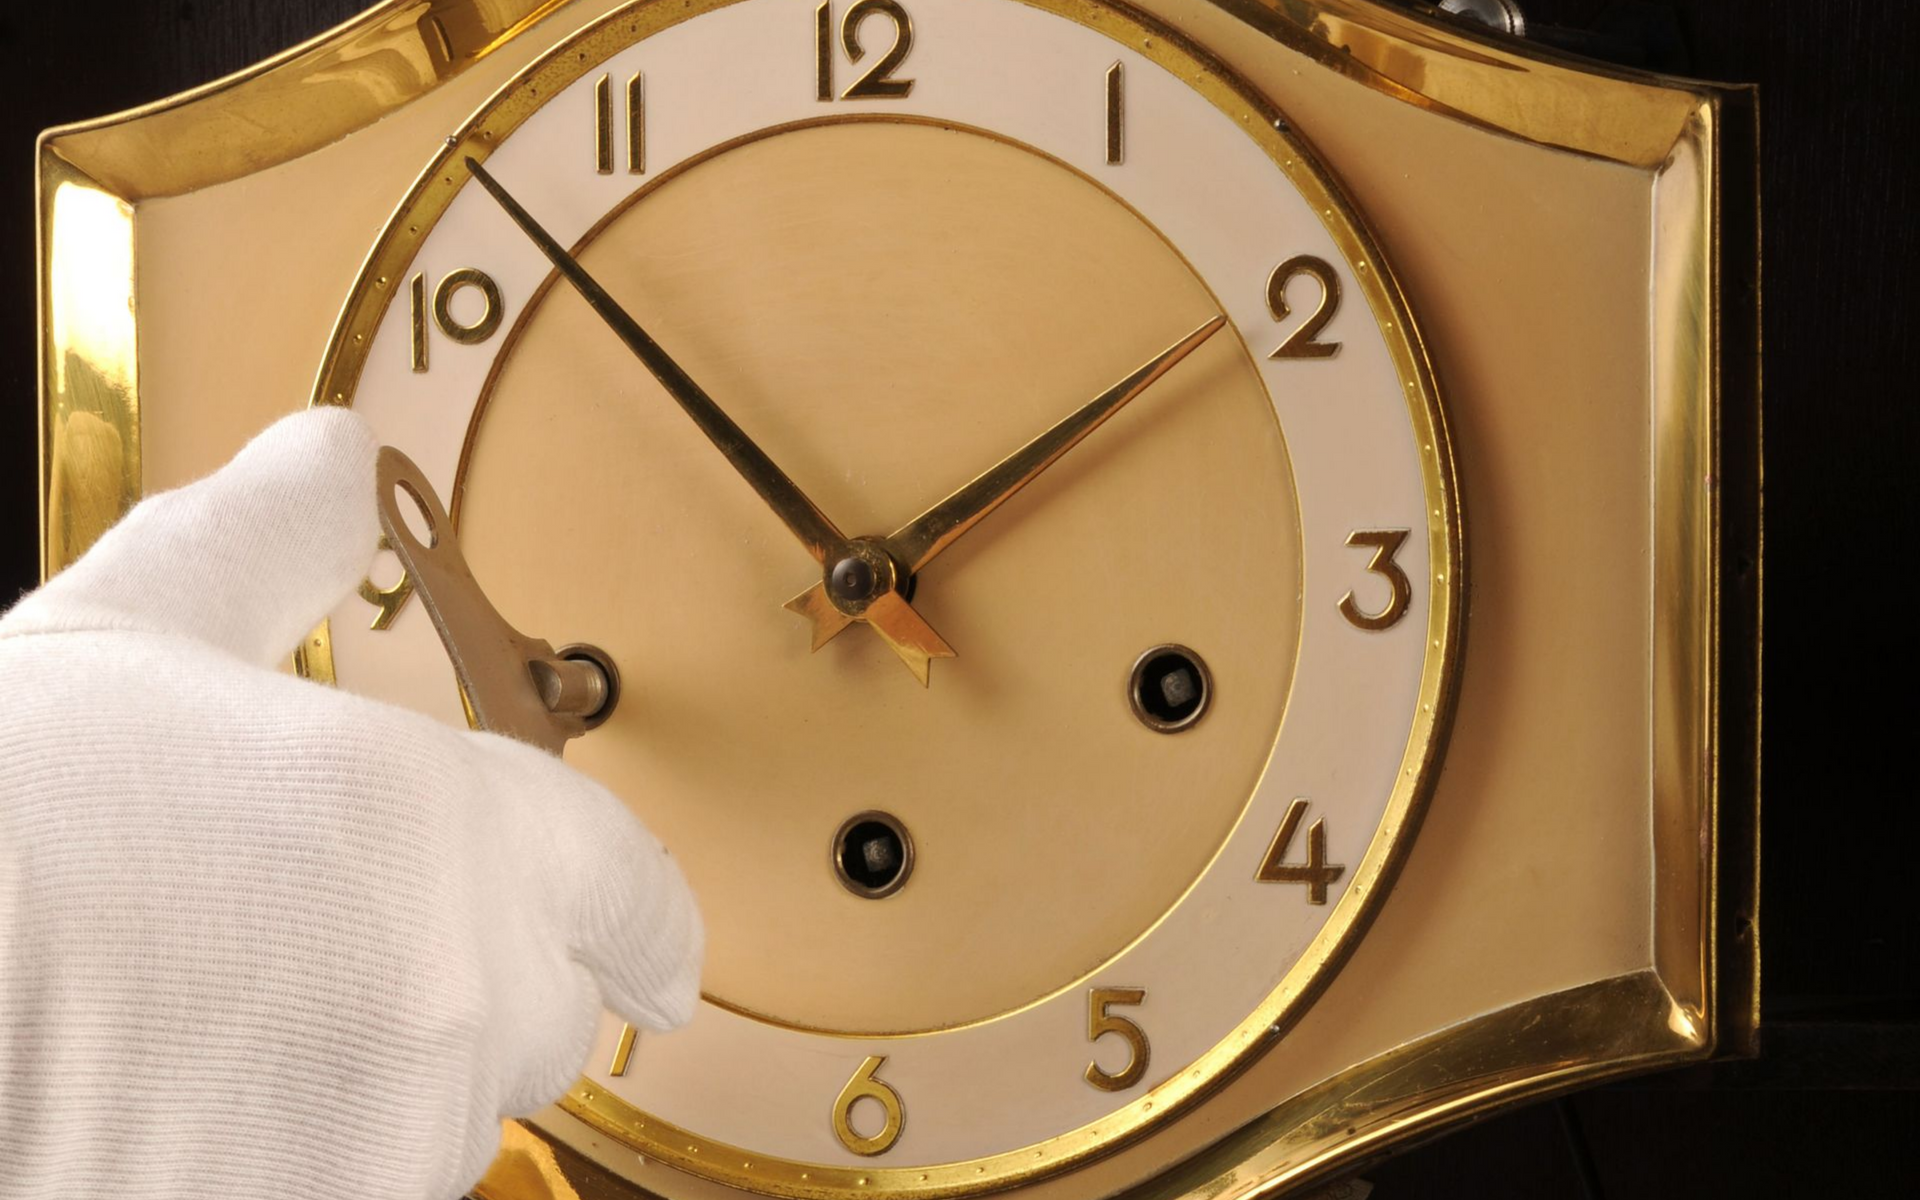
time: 1:52
